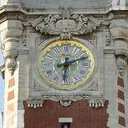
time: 6:11
